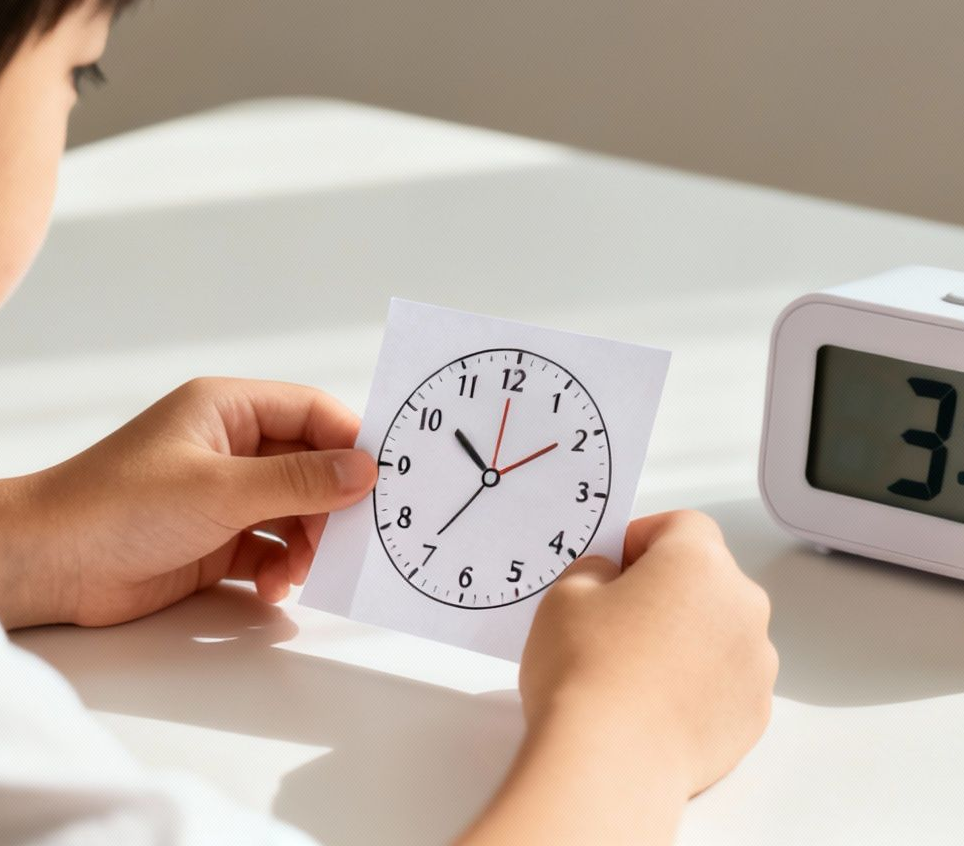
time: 10:35
